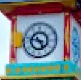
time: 4:46
